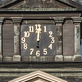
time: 12:00
